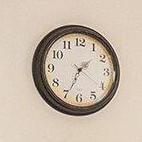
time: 1:34
